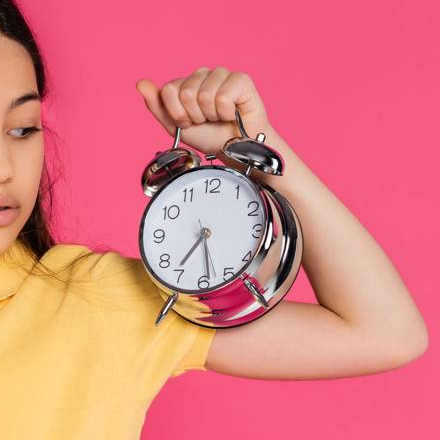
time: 7:28
